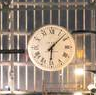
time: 6:07
